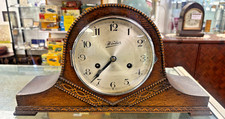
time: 7:36
